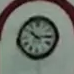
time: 10:14
